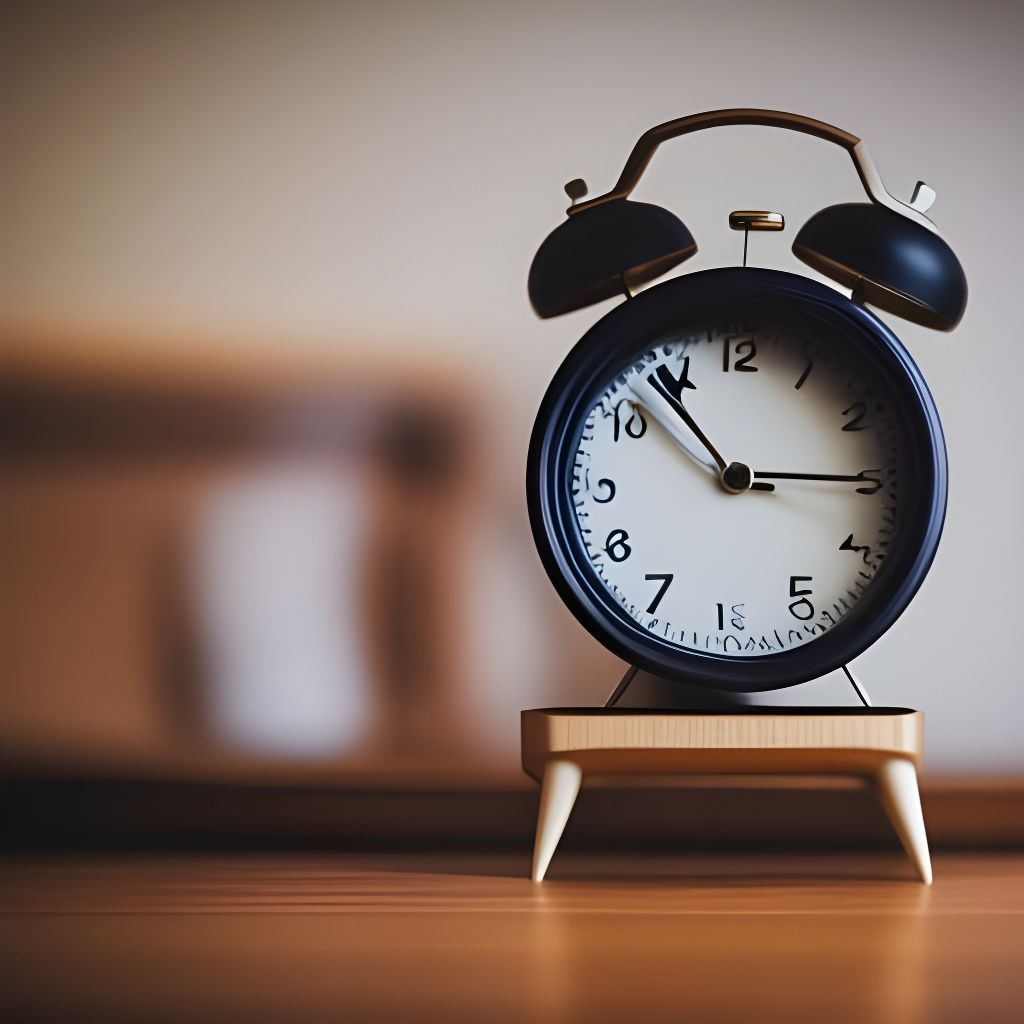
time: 2:53
